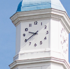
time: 9:39
